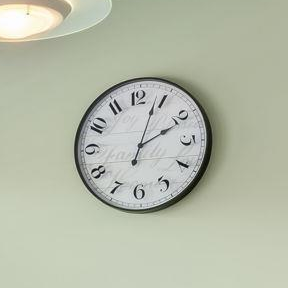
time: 2:03
